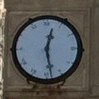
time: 12:28
